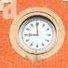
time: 8:59
